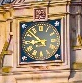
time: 8:52
